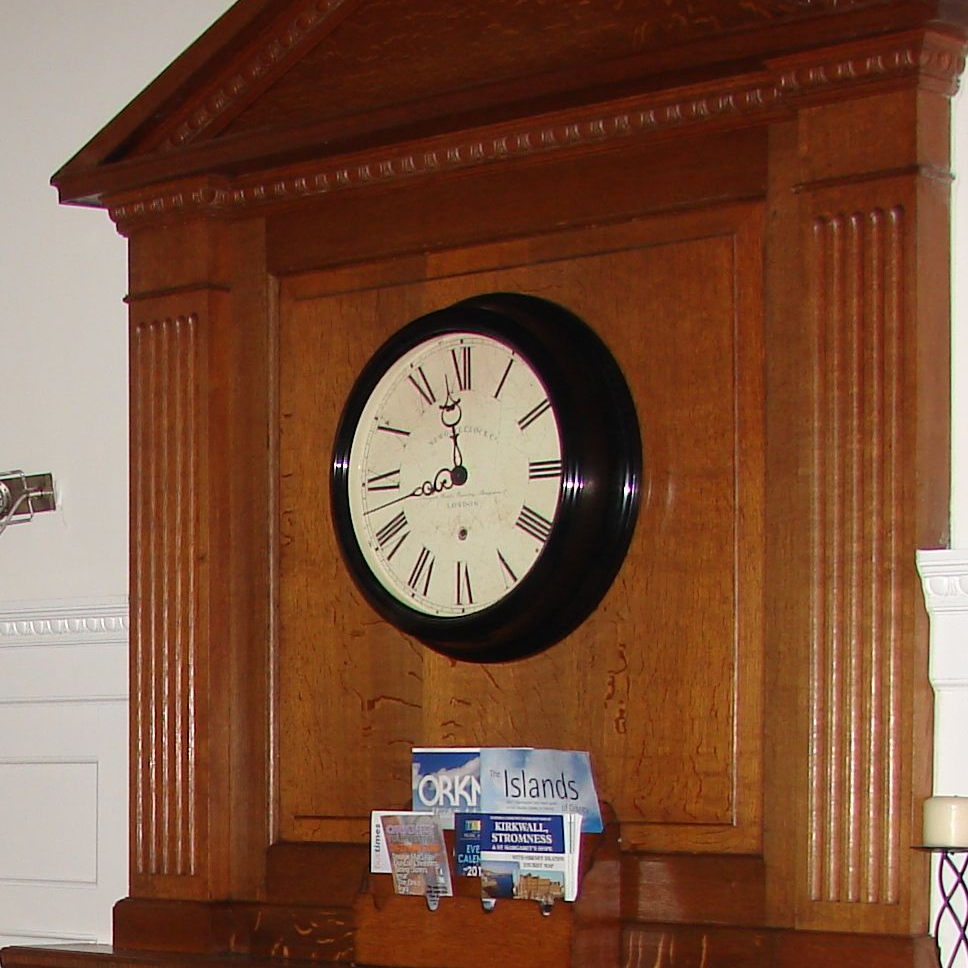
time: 11:42
